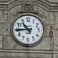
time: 10:44
